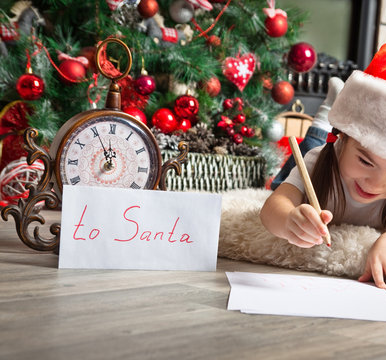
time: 7:55
